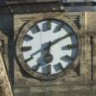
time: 6:10
